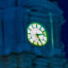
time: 5:12
